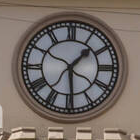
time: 1:29
